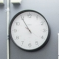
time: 10:54
